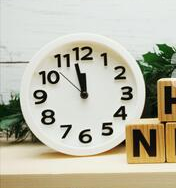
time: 11:57
